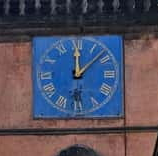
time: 12:07
